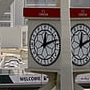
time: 12:12
